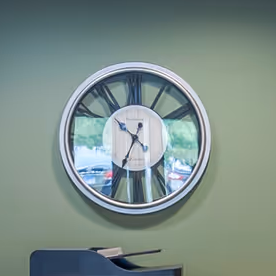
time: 10:34
